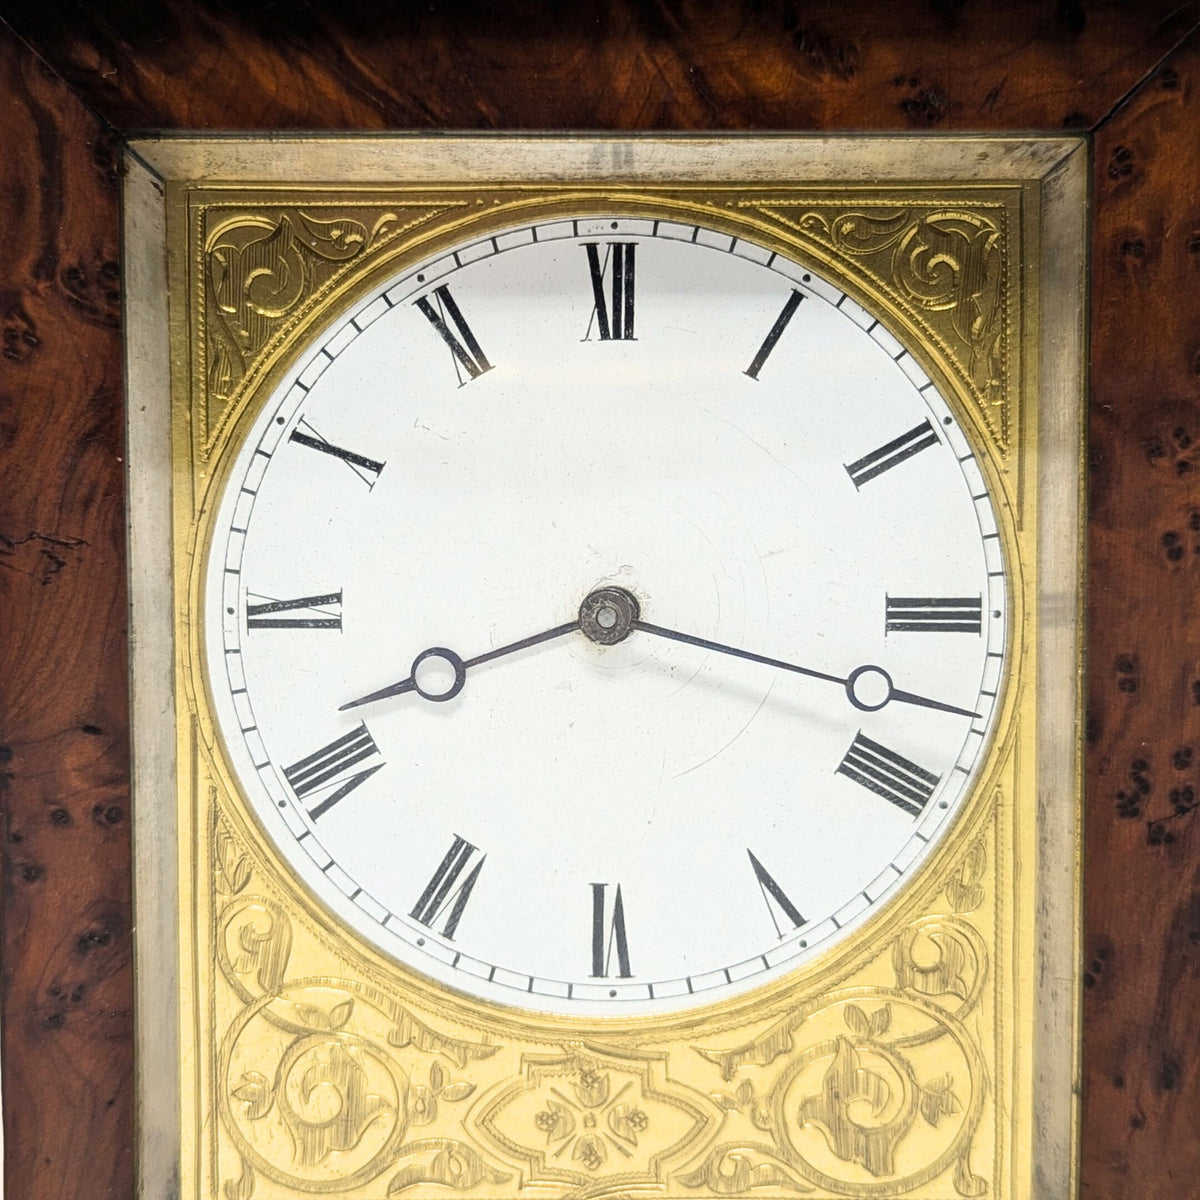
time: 8:17
